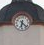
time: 6:21
